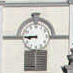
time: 8:45
